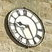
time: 9:25
